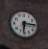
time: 6:15
